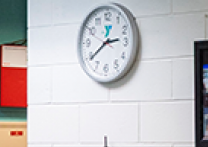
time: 2:38
